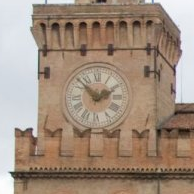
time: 1:52
